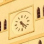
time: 5:22
